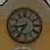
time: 8:35
